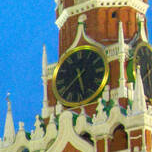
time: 5:38
